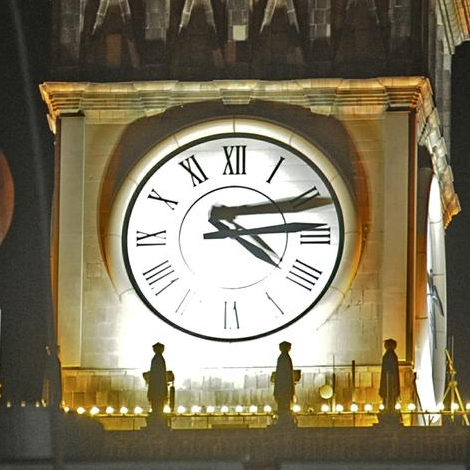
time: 4:14
